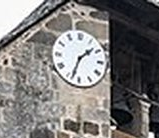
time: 1:33
